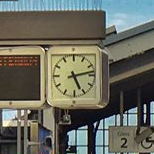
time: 5:13
